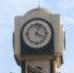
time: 4:03
